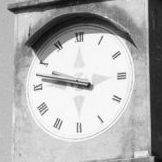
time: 9:47
